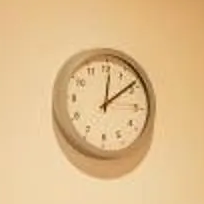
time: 12:08
